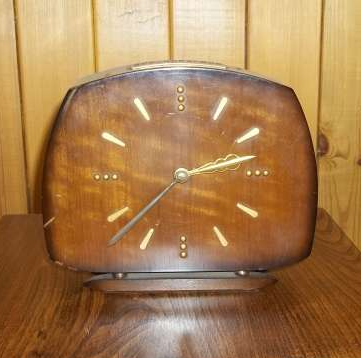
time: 2:38
